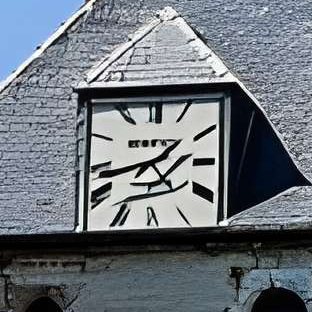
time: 1:42
